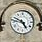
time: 4:48
